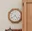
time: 4:40
